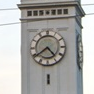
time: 4:39
